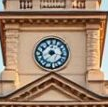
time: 8:16
